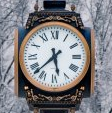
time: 5:37
